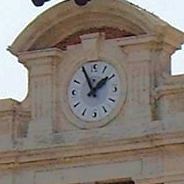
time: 1:55
